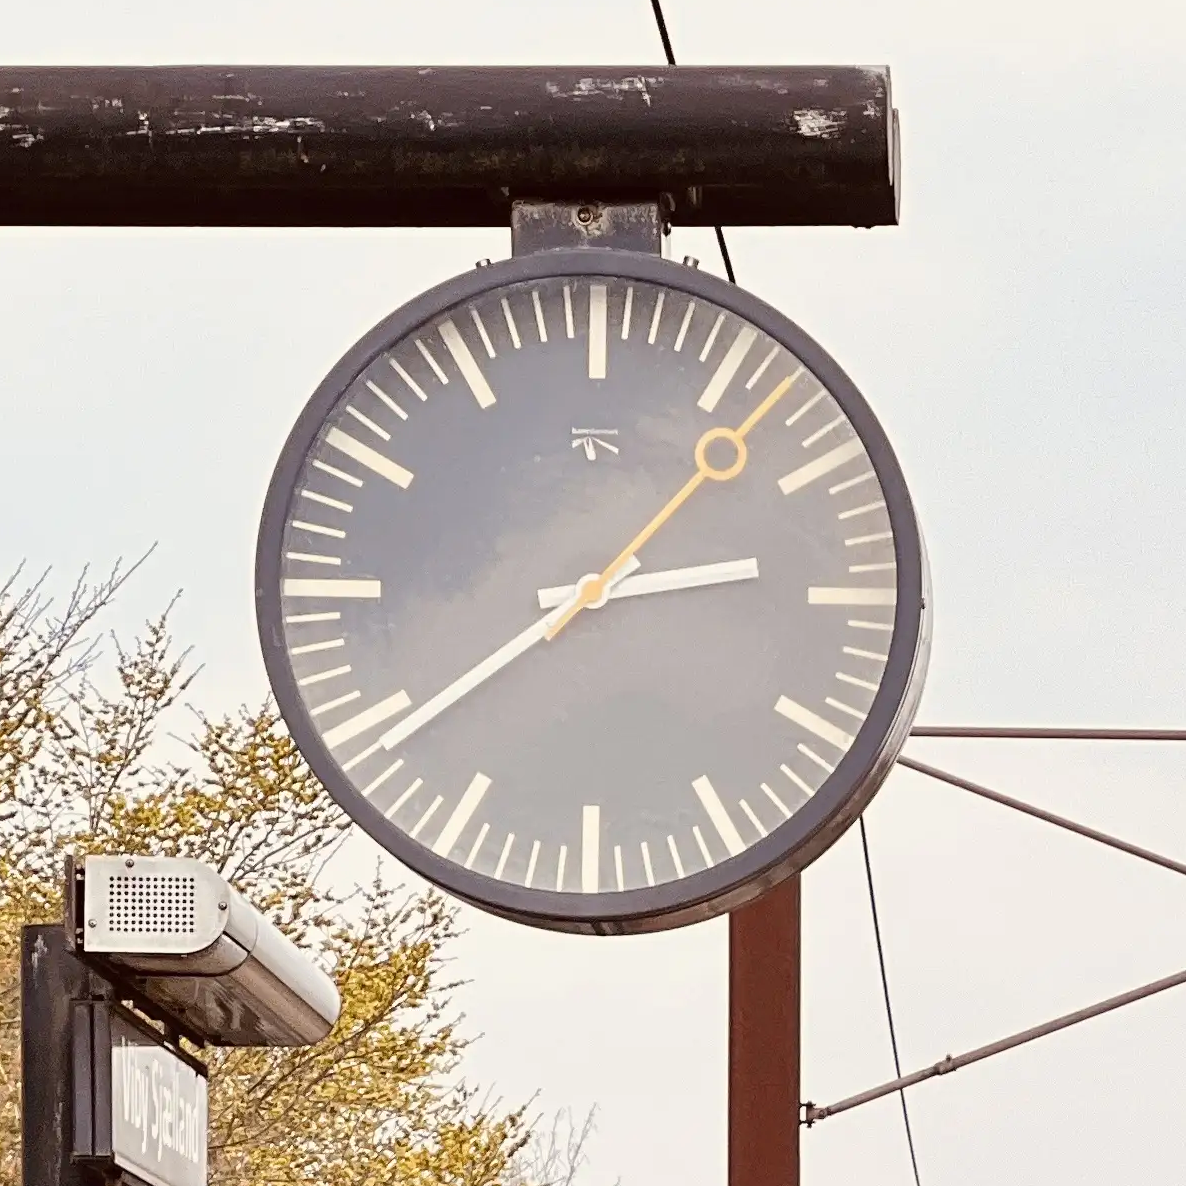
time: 2:39
